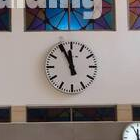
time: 11:55
